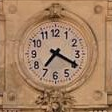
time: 7:19
